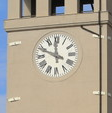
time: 11:48
